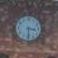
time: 3:30
